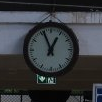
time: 12:56
